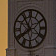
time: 7:53
